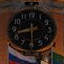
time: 8:29
